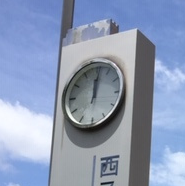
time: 12:01
